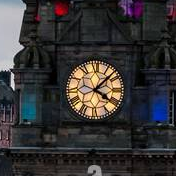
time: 4:07
